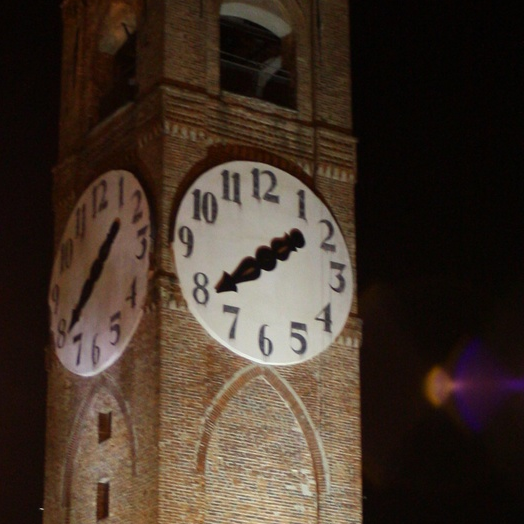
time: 1:38
